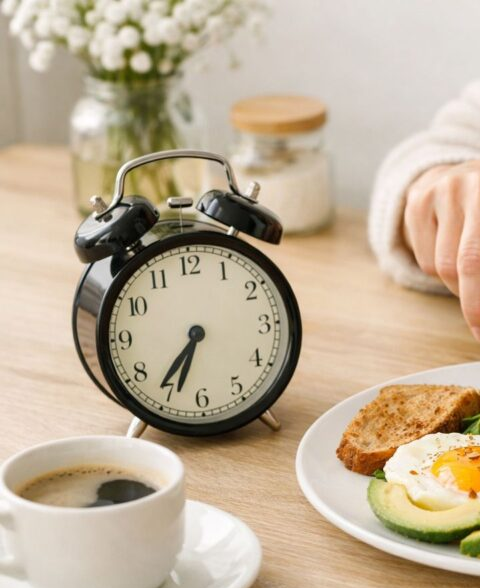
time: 6:36
